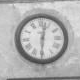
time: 12:30
